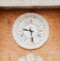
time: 9:28
